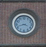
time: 3:42
